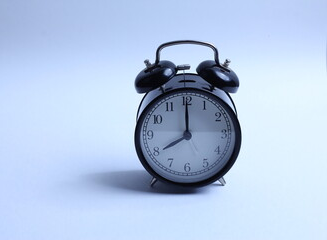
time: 8:00
